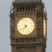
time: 7:24
